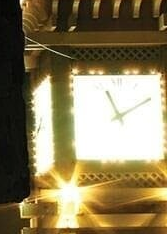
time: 11:10
